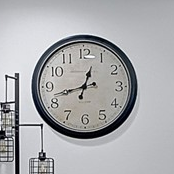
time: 12:42
